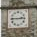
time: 2:45
